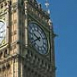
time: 9:40
